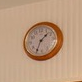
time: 1:34
